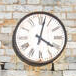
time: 4:02
